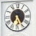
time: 6:25
